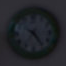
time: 7:24
